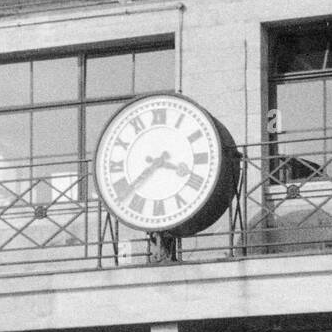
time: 3:38
